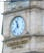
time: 11:37
